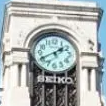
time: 1:40
